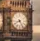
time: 8:24
